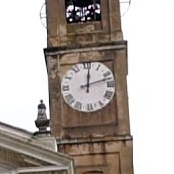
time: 12:12
